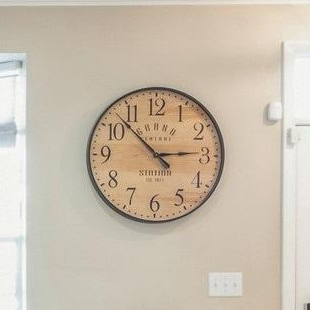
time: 2:52
